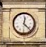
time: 12:22
